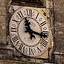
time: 11:16
